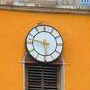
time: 5:47
